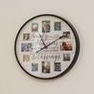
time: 11:09
